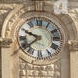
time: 9:38
